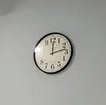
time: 12:12
